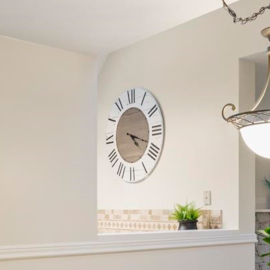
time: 4:18
